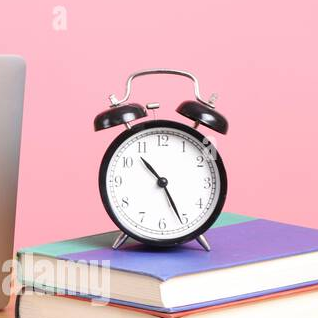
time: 10:26
